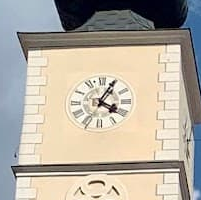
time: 4:04
